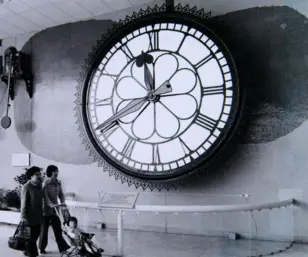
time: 11:40
